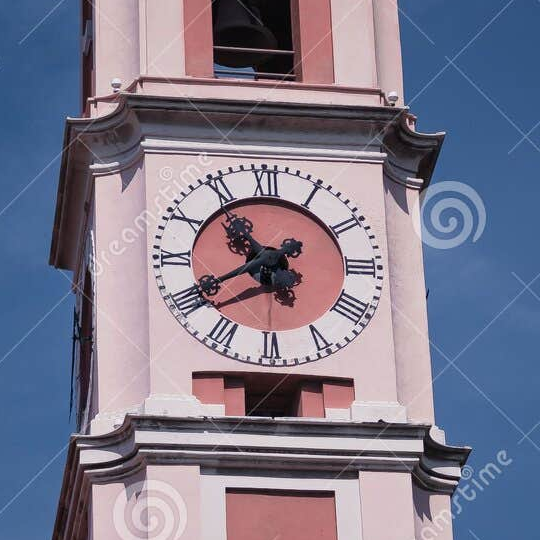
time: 10:40
